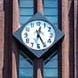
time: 12:25
